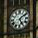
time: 5:08
